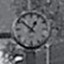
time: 12:52
